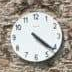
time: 4:21
